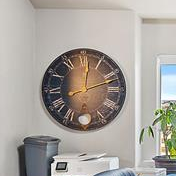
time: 12:11
